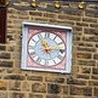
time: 11:13
